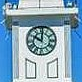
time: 10:00
